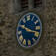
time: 3:50
